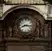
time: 8:16
